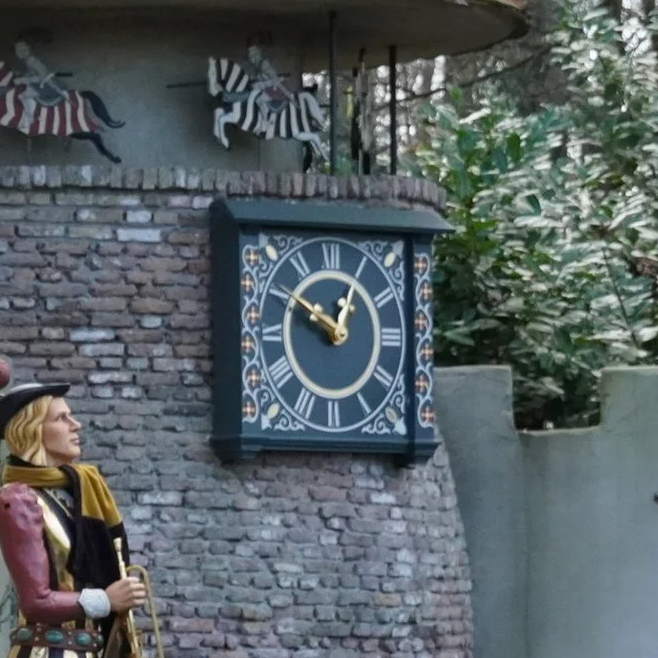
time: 12:49
